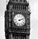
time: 2:11
